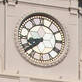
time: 8:38
